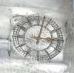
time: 3:02
